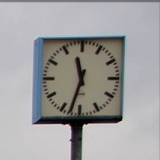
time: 11:32
